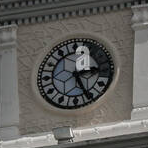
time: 5:14
